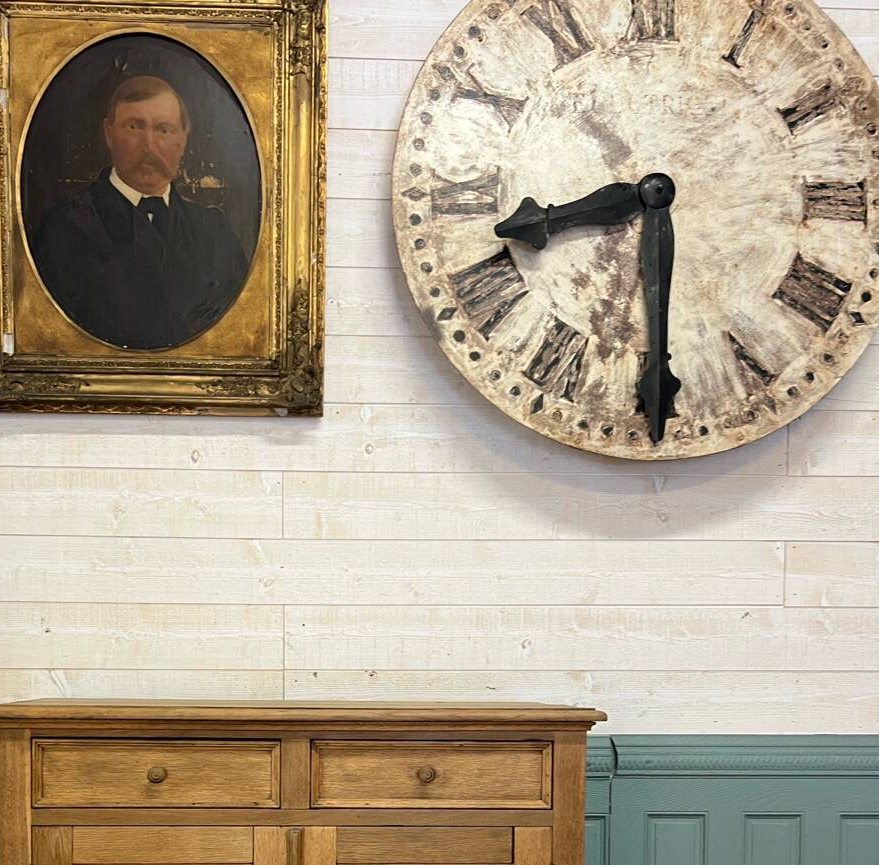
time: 8:29
